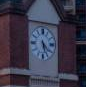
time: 5:21
